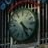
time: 4:26
